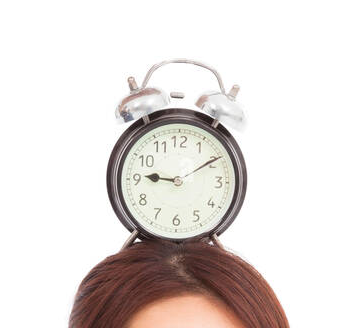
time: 9:09
